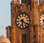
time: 6:21
